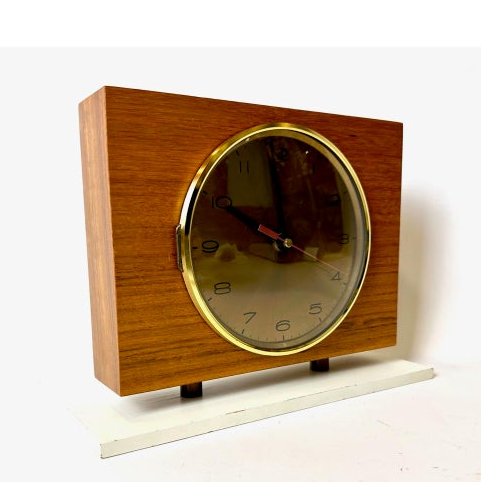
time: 9:59
